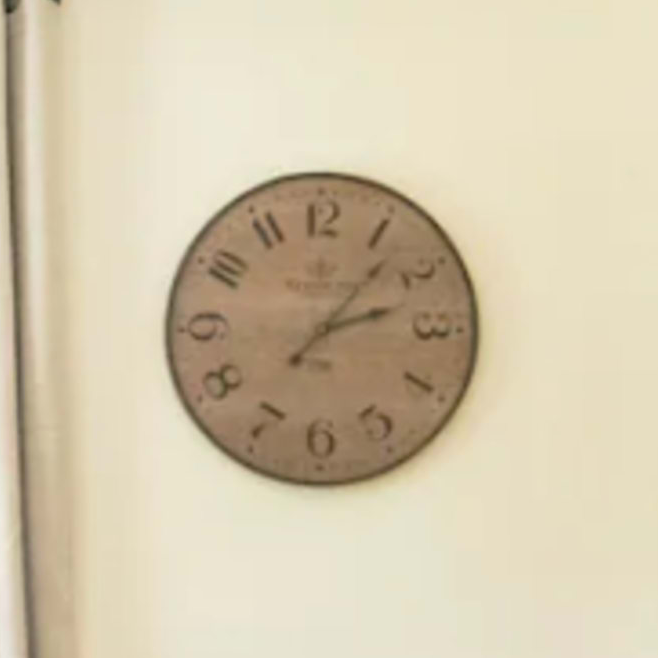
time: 2:06
